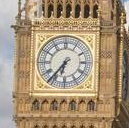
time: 6:36
